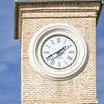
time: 1:40
